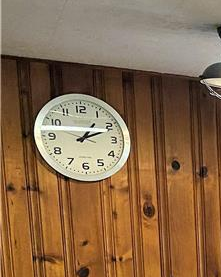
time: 1:11
